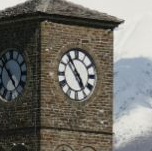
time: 4:54
